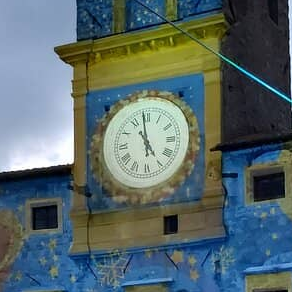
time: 4:59
